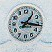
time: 1:16
